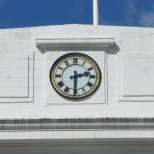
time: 2:30
